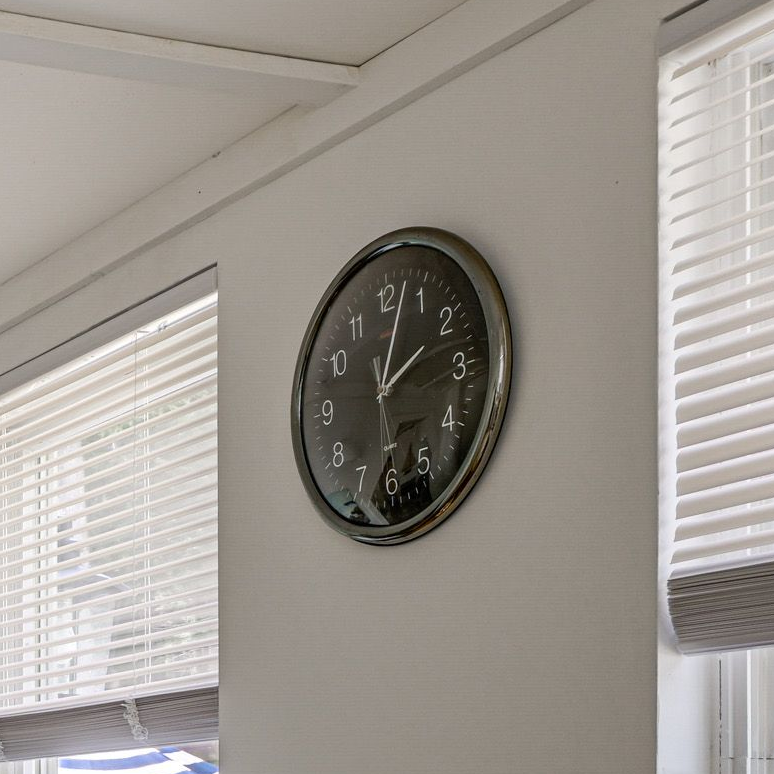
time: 2:02
